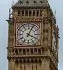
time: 4:04
